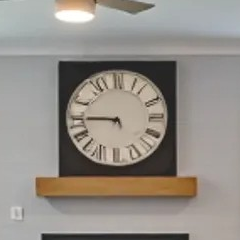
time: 8:45
